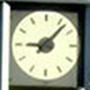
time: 9:07
